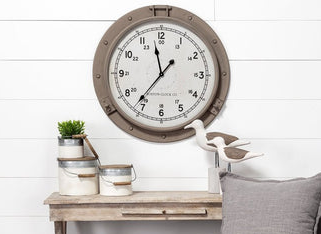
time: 11:36
